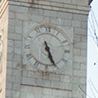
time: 5:26
